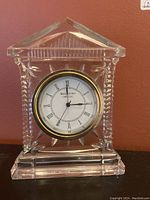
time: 2:59
